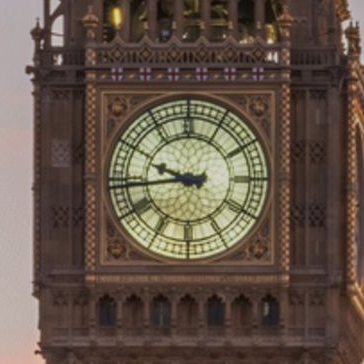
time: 9:43
